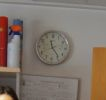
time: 11:23
